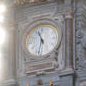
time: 11:32
